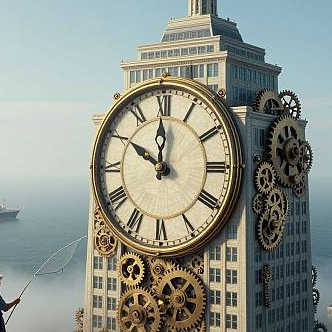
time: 9:59
